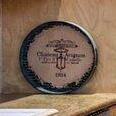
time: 6:15
